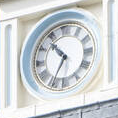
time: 10:34
